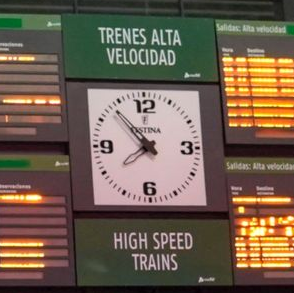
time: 7:53
